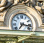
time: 7:17
